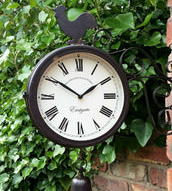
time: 1:50
